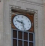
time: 9:27
